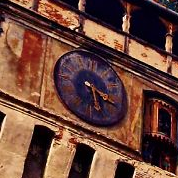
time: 5:18
